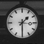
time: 1:29
